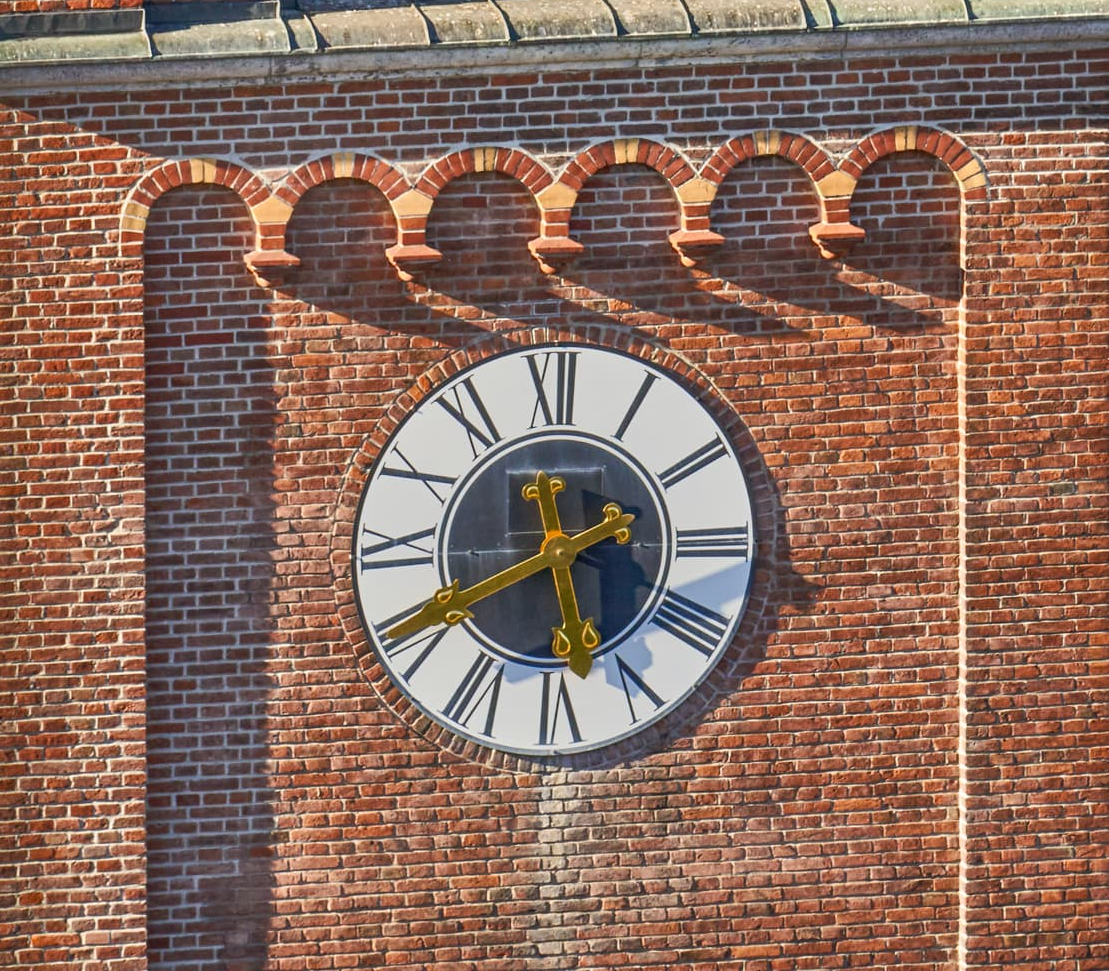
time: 5:40
